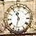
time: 11:32
